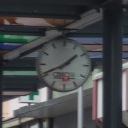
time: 1:40
